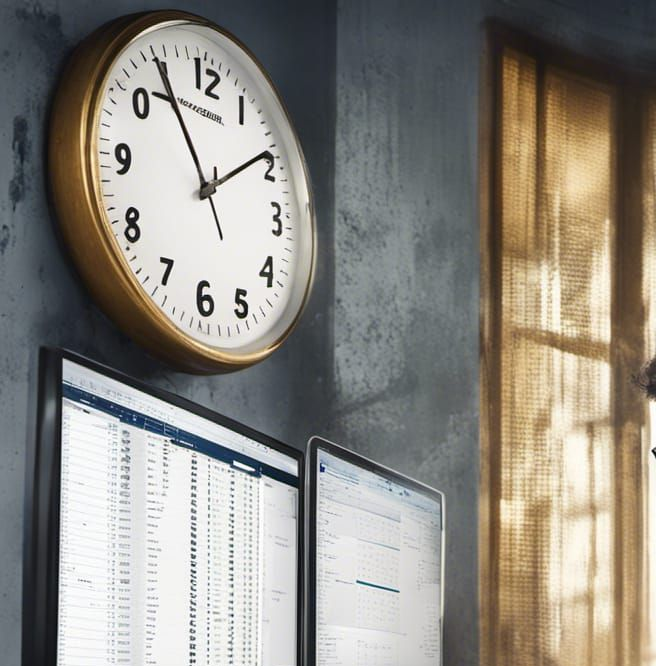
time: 1:54
